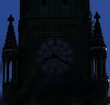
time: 8:20
